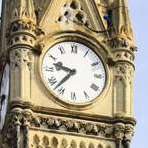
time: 9:37
